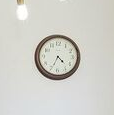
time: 4:34
